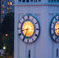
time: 8:34
